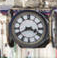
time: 3:40
